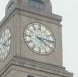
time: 4:14
